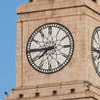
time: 7:44
